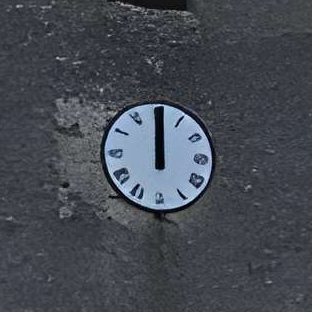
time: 12:00
